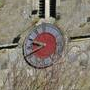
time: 9:40
